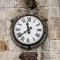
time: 11:38
